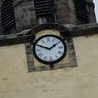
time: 1:49
